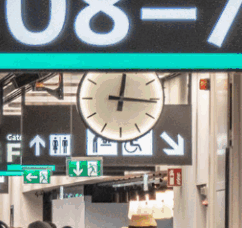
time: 12:16
